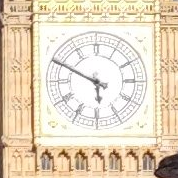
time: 5:49
